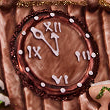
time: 11:52
